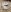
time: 3:12
